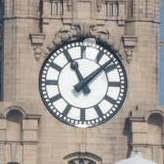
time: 11:08
